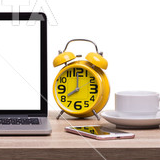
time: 7:59
